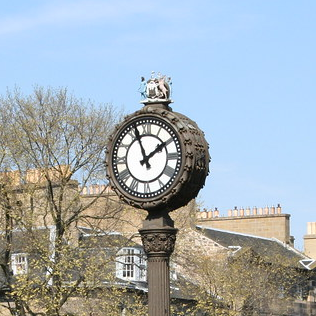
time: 1:56
